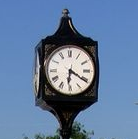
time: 6:20
